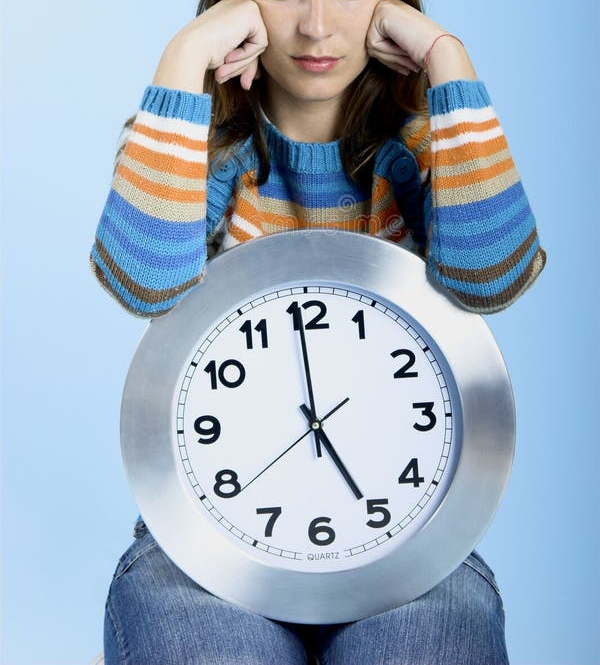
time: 4:59
